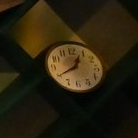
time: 12:39
